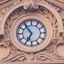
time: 6:54
